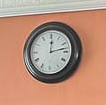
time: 12:13
